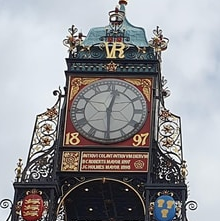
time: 12:29
